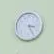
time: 3:25
